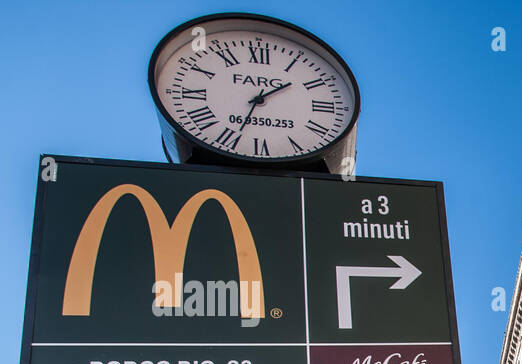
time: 1:33
